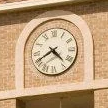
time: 4:40
